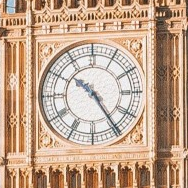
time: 10:24
